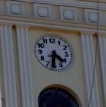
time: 4:31
